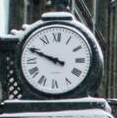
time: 9:48
